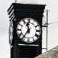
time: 11:36
